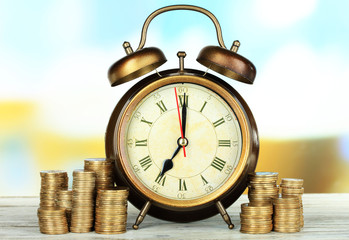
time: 7:00
